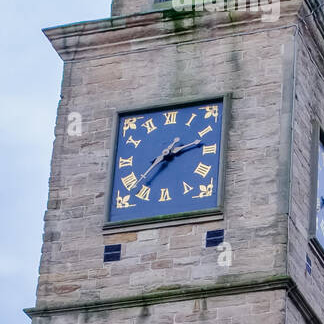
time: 2:36
